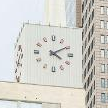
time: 4:09
